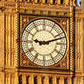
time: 9:12
